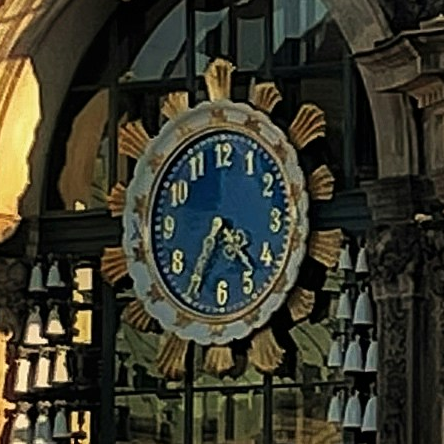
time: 4:35
